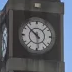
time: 5:52
